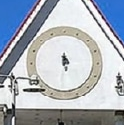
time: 5:30
